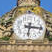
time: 6:15
